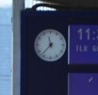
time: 11:37
